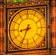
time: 8:34
